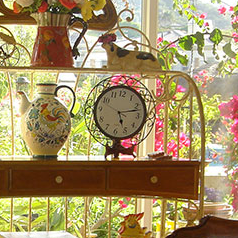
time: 5:12
